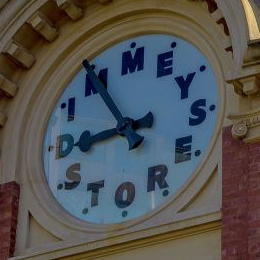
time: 8:54
